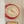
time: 11:21
